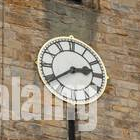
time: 2:39
